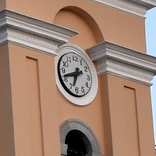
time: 6:41
